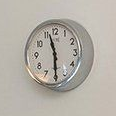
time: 11:29
